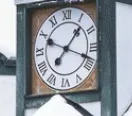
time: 1:18
